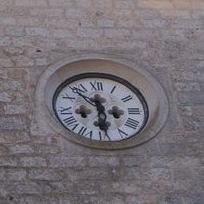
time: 5:53
